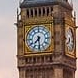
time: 7:29
